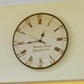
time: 12:44
